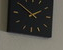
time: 1:50
